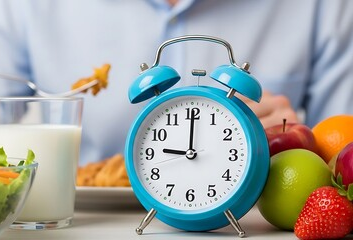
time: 9:00
